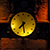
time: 7:28
